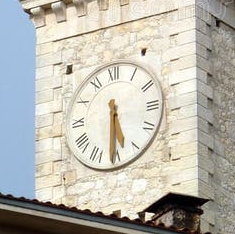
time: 5:30
